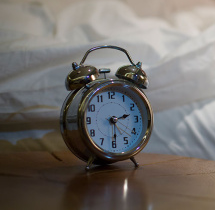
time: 2:29
